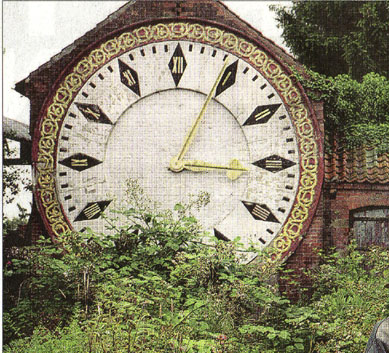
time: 3:04
